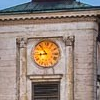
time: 8:53
